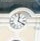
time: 4:02
